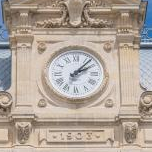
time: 2:07
